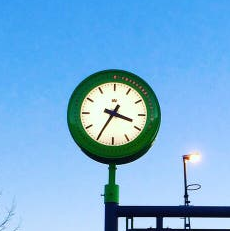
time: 3:35
